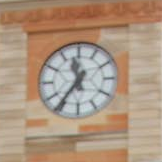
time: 11:36
